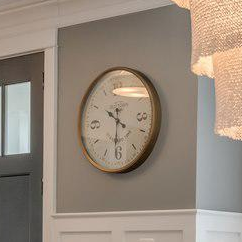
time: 10:31
